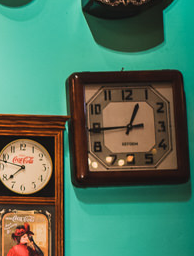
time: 12:44
